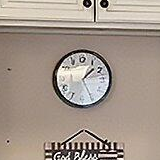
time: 1:25
